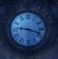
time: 9:18
